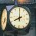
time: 7:59
